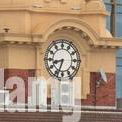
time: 8:33
